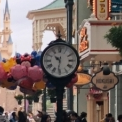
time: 10:31
